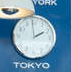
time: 1:59
